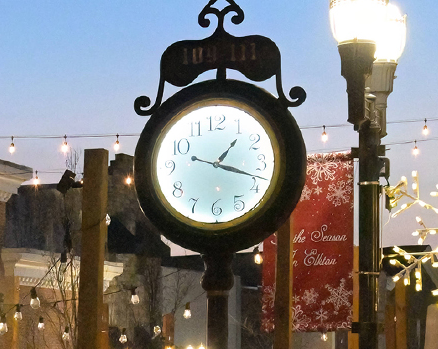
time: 1:18
